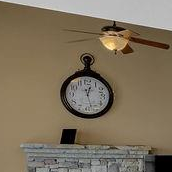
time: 12:27
